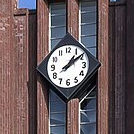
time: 1:09
